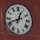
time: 12:41
